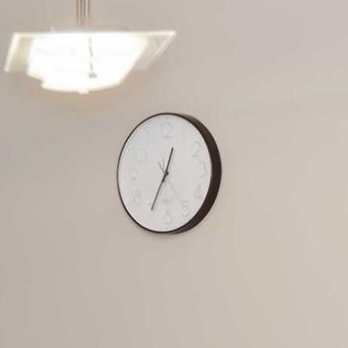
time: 12:34
